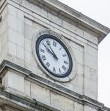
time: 9:53
